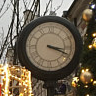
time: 3:18
